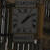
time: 1:08
